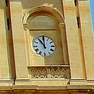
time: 11:00
